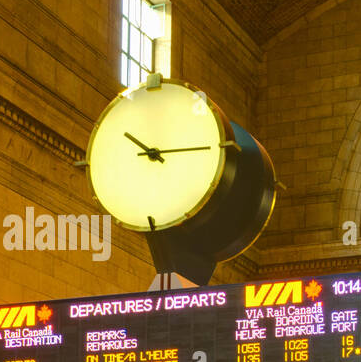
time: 10:14
